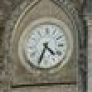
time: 4:34
